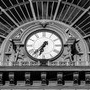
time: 6:37
